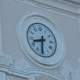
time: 8:31
